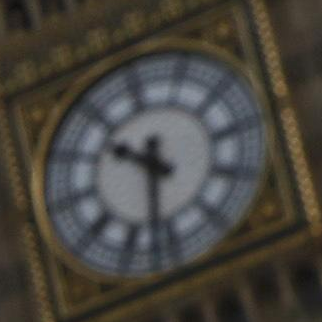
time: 10:32
